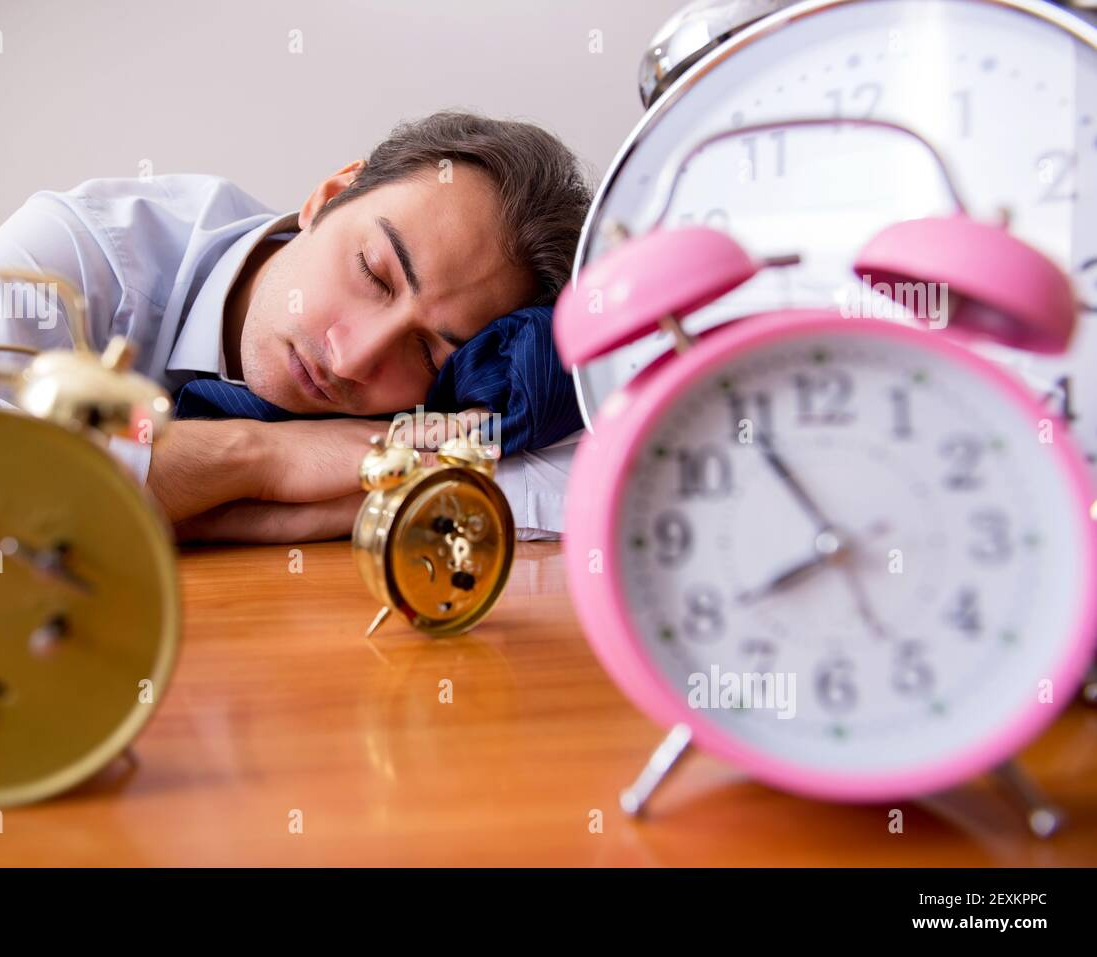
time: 7:54
